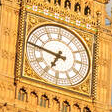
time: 6:46
